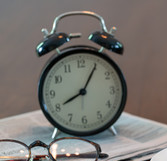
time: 8:05
